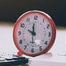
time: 9:59
